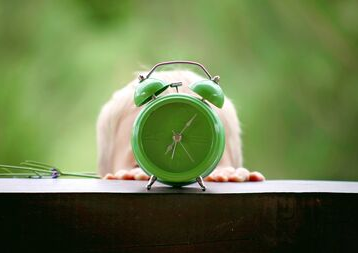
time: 7:07
